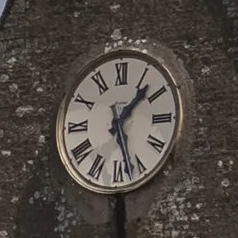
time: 1:27
